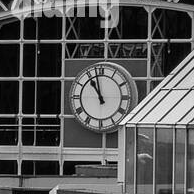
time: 10:57
